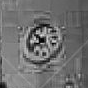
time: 10:42
